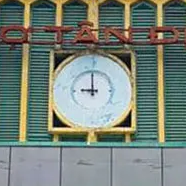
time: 8:59
